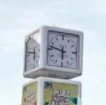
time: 5:47
